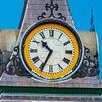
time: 10:34
